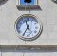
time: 11:35
